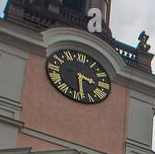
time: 3:29
